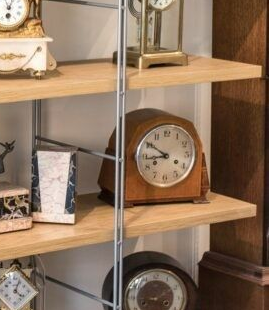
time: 8:50
